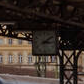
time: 3:09
